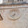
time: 7:32
